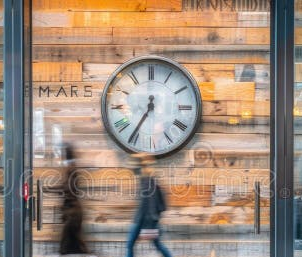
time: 12:35
